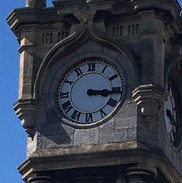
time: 3:15
